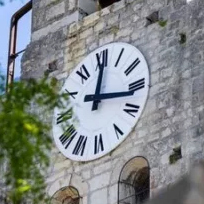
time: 12:16
